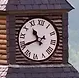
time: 10:40
